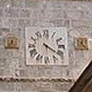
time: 4:20
